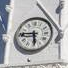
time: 5:45
